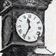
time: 11:34
